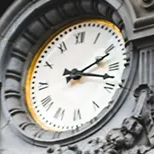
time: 2:17
